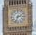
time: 2:33
